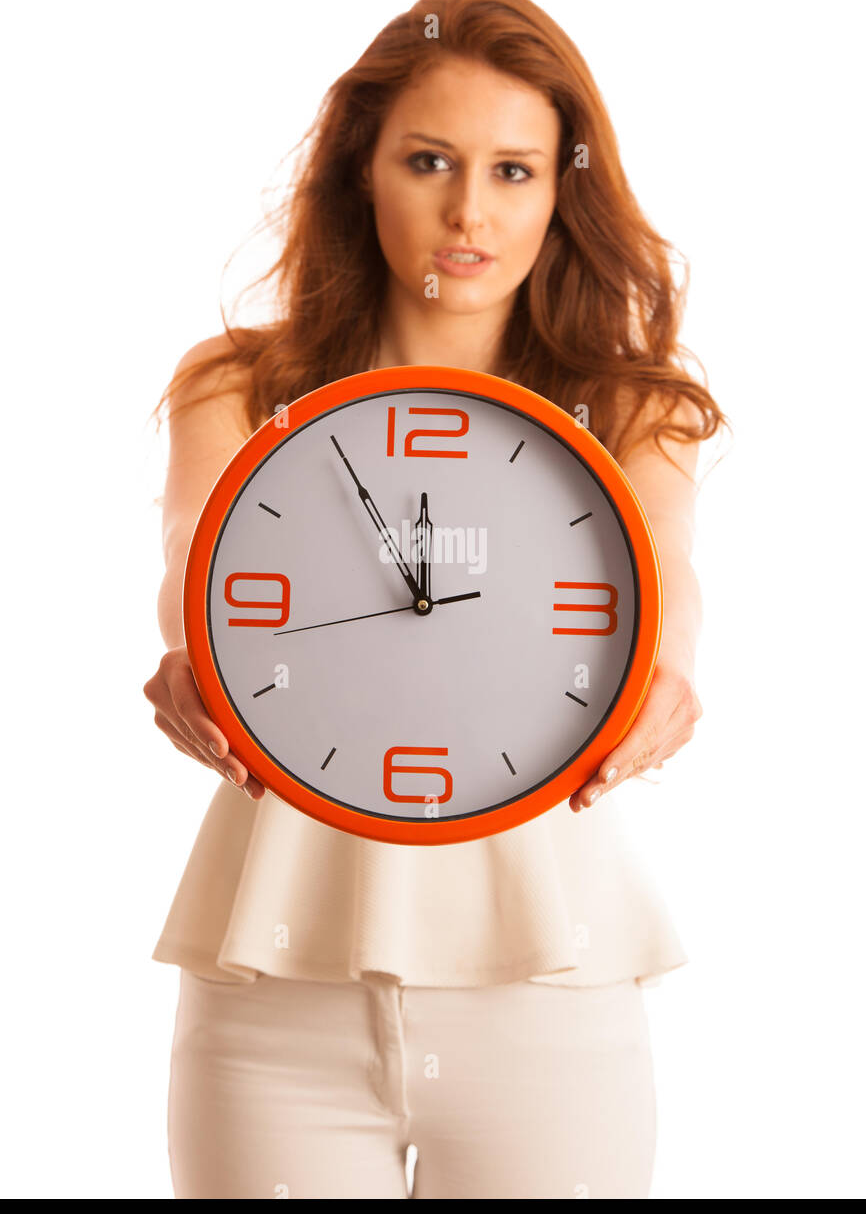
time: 11:55
